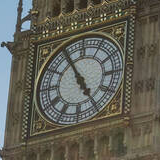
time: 4:55
